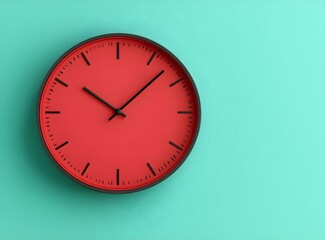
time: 10:07
